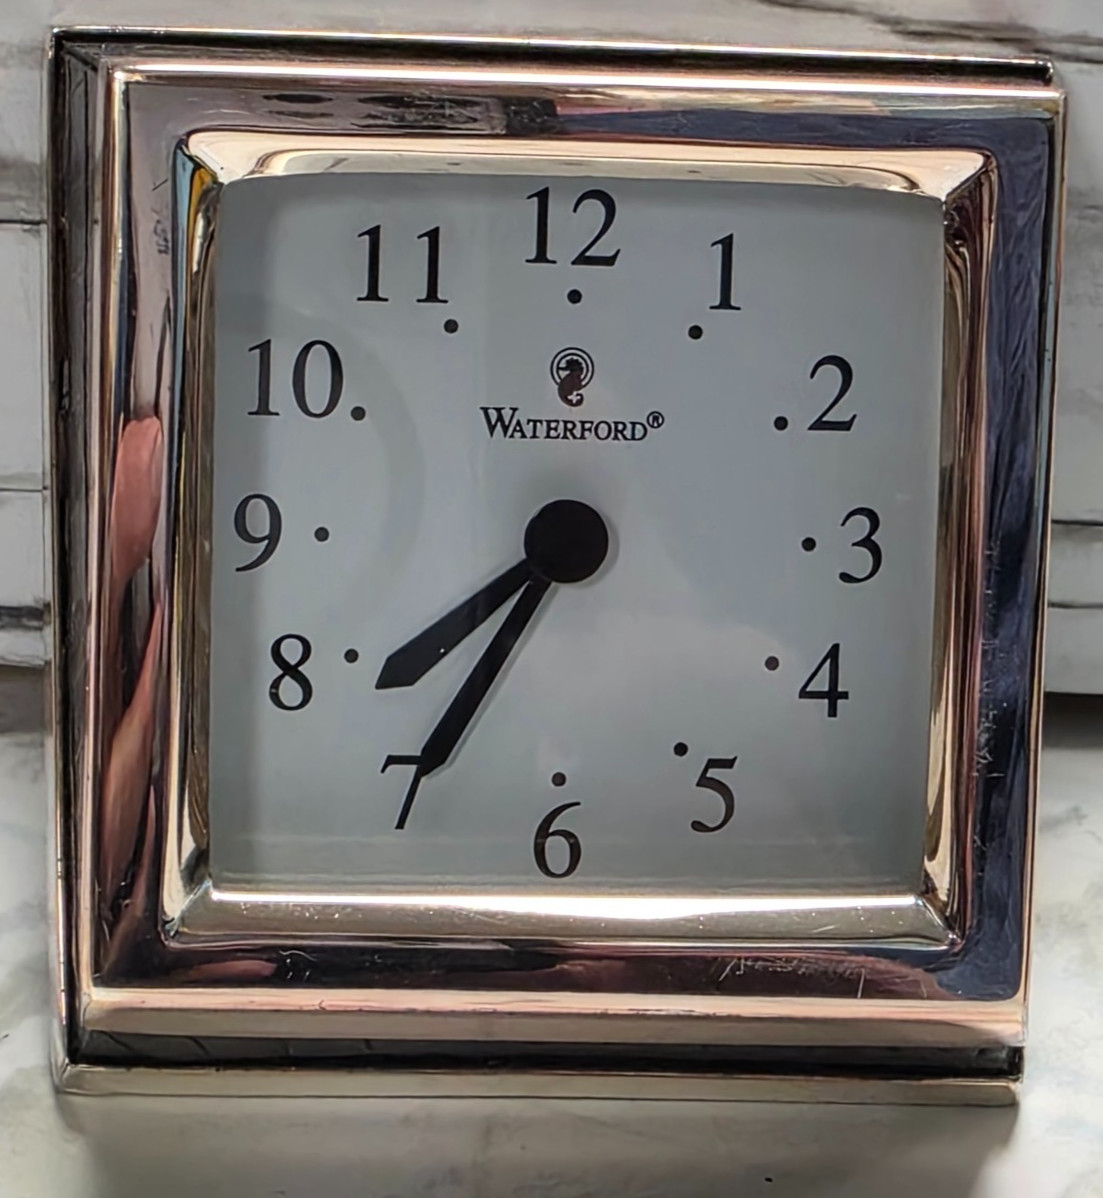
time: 7:35
